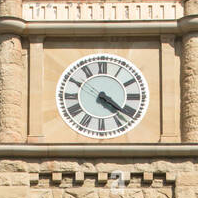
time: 4:20
